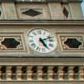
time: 5:11
